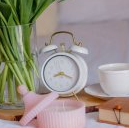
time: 8:19
